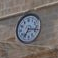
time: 7:17
